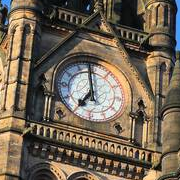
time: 6:58
